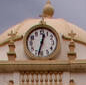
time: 12:32
